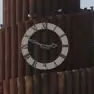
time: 2:48
